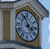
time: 3:54
